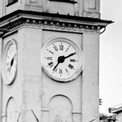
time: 7:10
